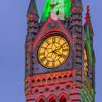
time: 4:11
